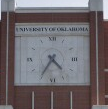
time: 4:35
